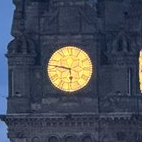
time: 5:46
